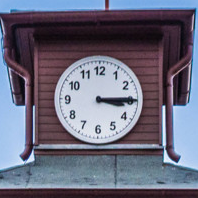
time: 3:14
